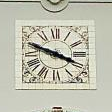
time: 3:48
